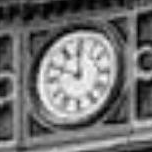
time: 11:48
